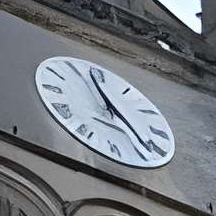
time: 11:22
